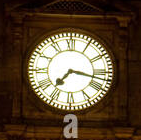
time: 7:17
